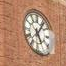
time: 5:06
